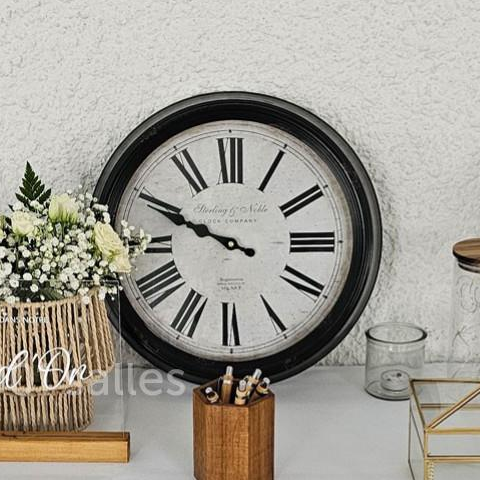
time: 9:49
